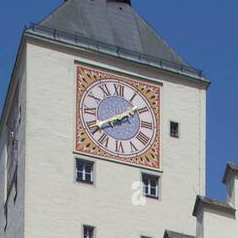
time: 1:39
